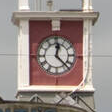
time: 12:22
